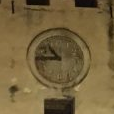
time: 10:44
